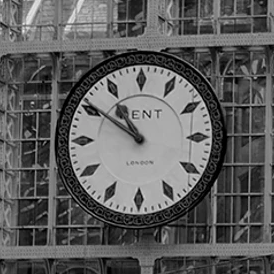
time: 10:50
